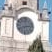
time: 2:40
